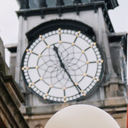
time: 11:25
